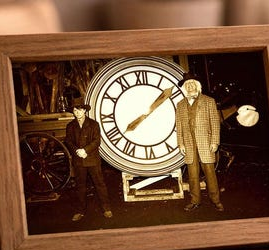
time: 1:39
